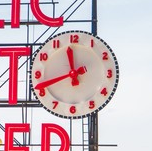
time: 11:41
